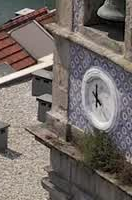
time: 12:23
